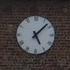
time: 5:07
